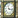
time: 11:17
